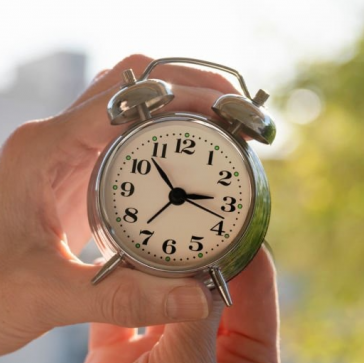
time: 2:53
